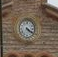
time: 4:20
